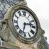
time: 2:32
